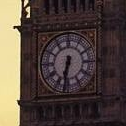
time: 6:32
